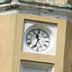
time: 11:33
